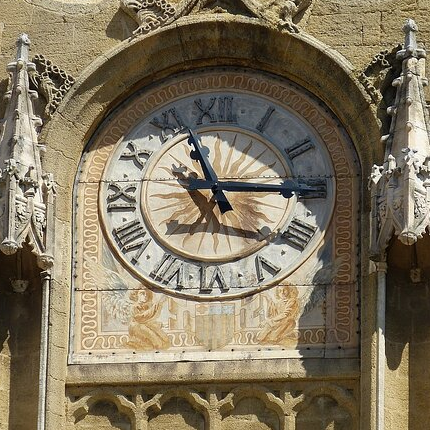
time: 2:56
